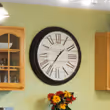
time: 1:35
